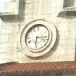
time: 6:15
